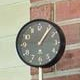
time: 1:06
